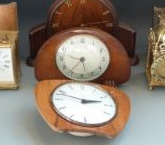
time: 2:48
